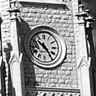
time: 10:24
